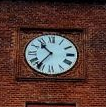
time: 10:36
